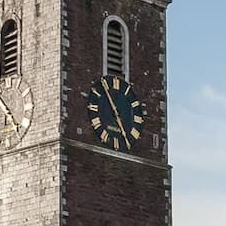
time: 4:54
